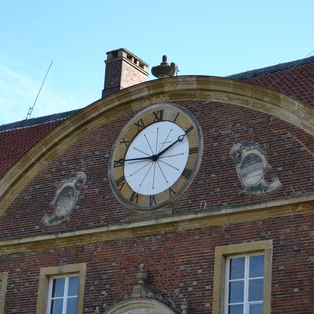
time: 9:10
